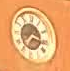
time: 7:16
